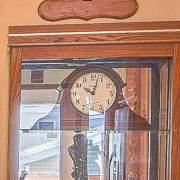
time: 10:02
